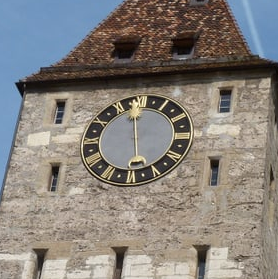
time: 5:58
